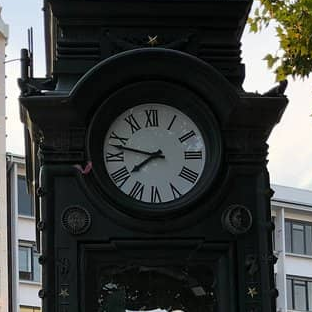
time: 7:47
